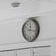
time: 12:16
